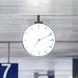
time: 7:10
